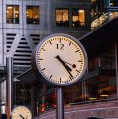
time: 4:23
